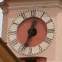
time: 12:33
